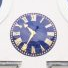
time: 10:34
